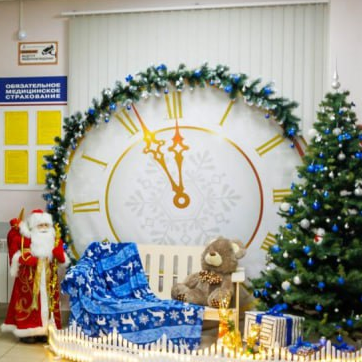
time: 11:55
